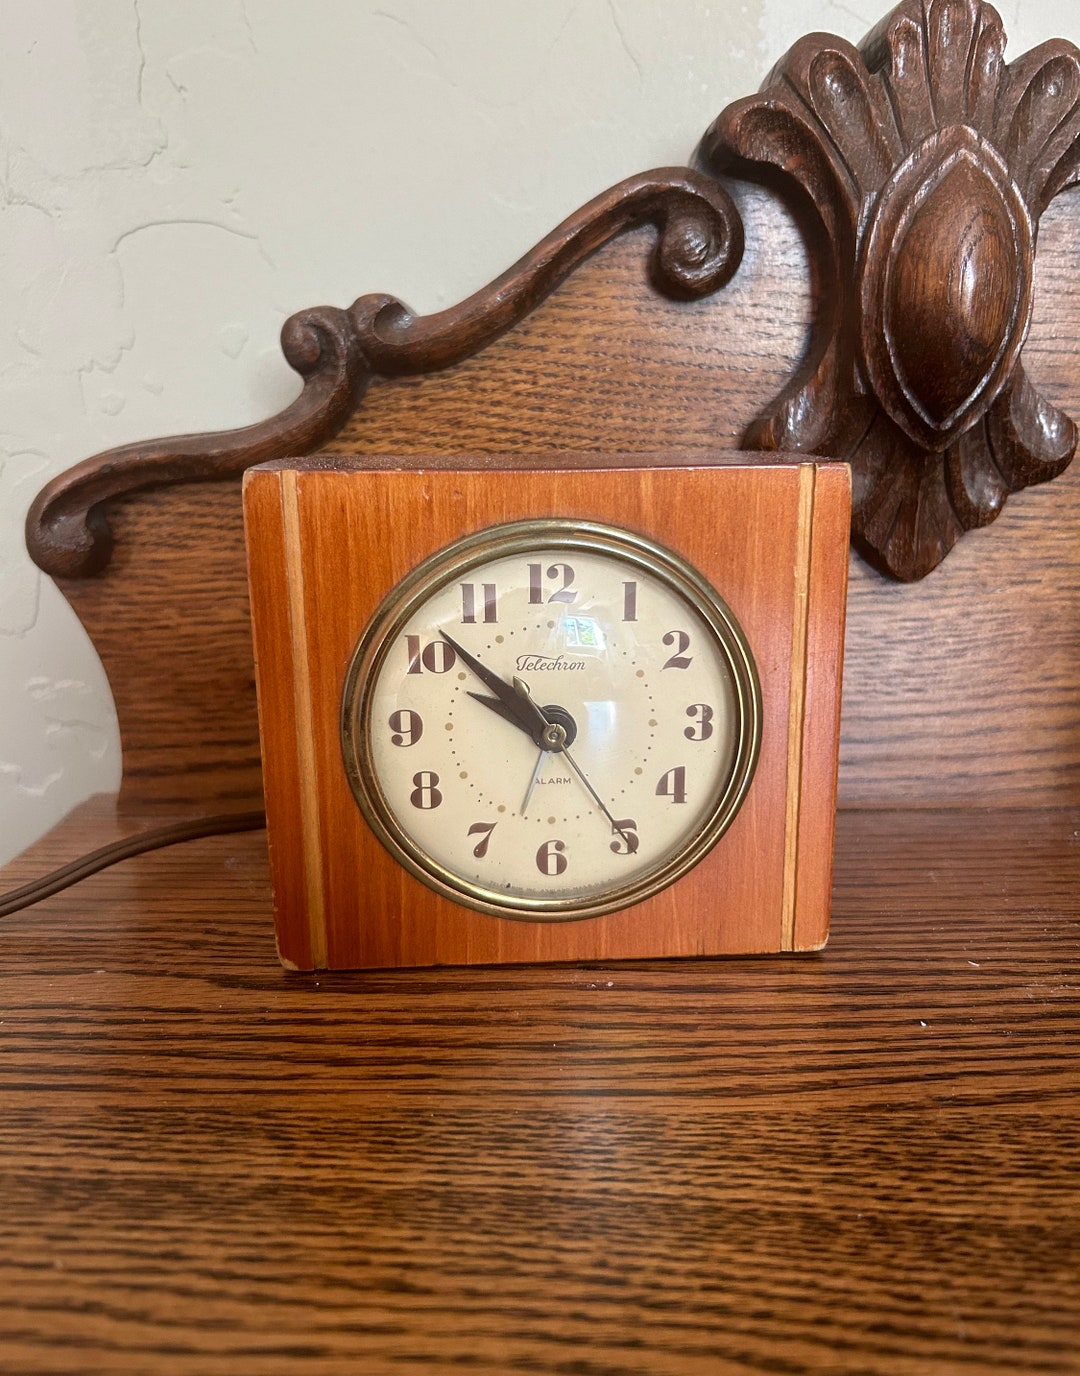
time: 9:51
